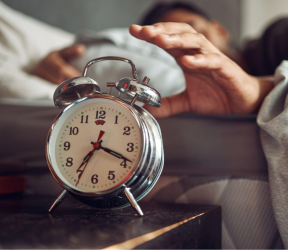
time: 7:18
